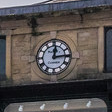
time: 12:14
